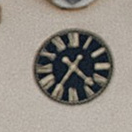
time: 4:35
